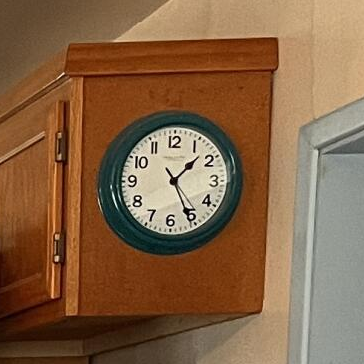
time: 1:25
